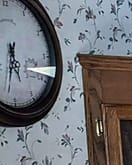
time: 5:32
